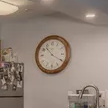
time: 10:20
